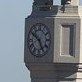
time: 4:50
